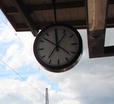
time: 12:06
